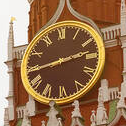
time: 2:44
